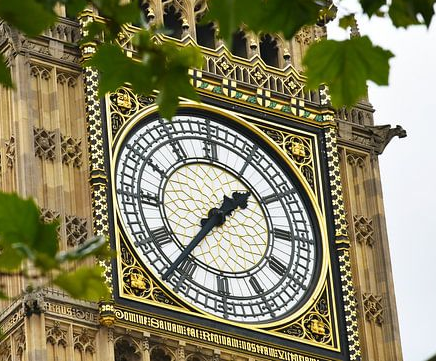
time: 1:36
